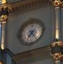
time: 7:24
